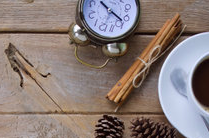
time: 10:22
